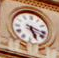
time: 5:17
